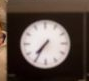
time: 7:35
